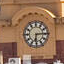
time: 6:14
